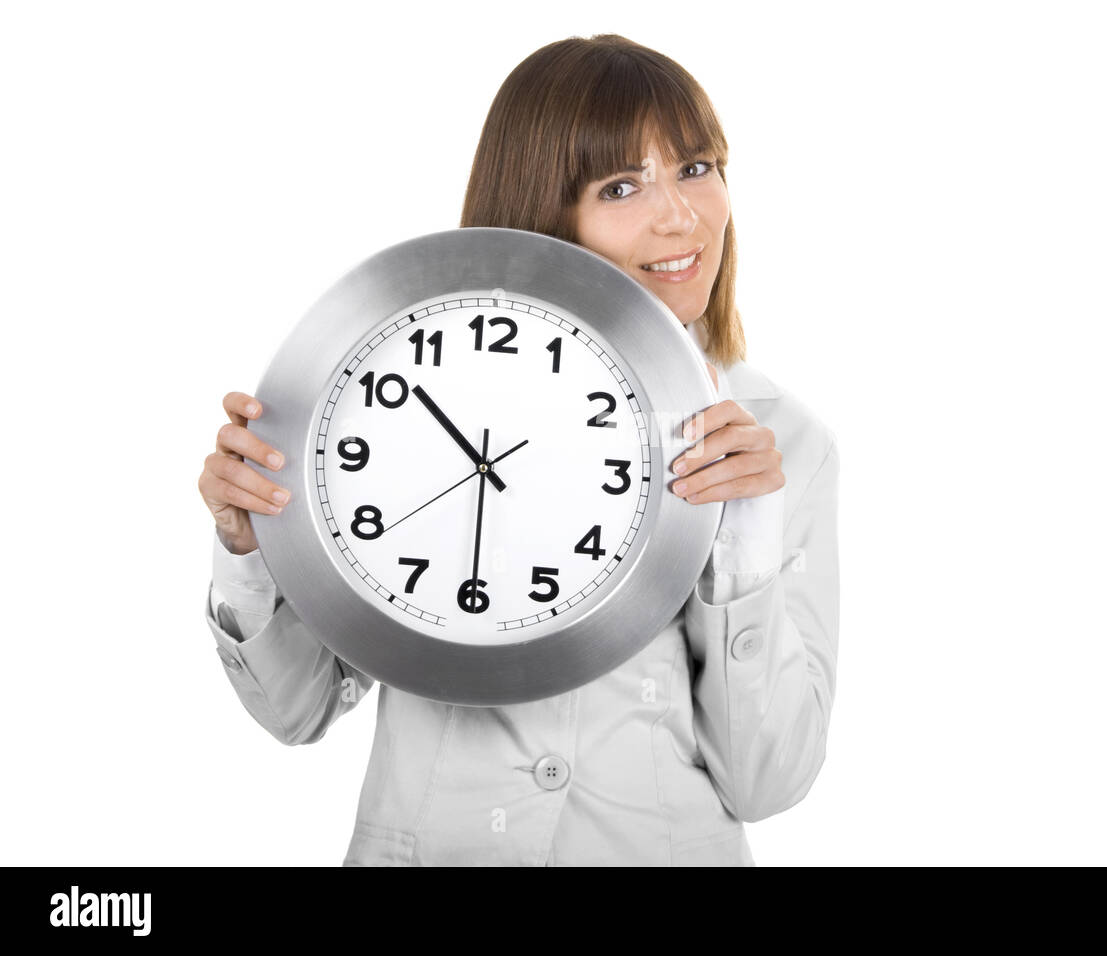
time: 10:30
